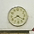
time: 8:21
